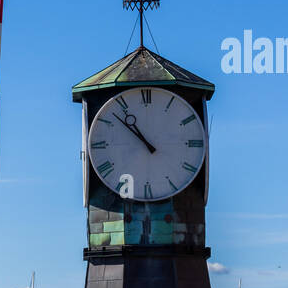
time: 10:52
